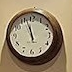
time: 11:57
